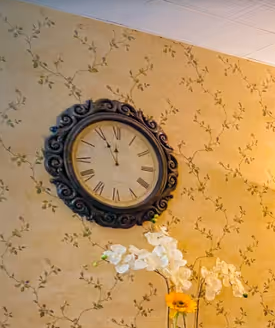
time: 11:55
